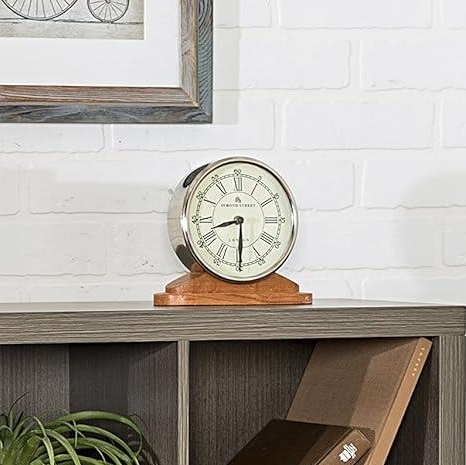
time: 8:30
